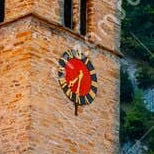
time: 7:32
